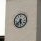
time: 5:37
